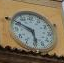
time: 5:49
